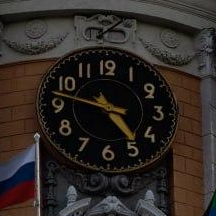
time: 4:47
